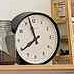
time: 7:57
